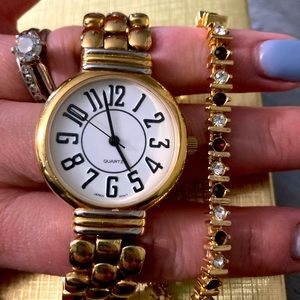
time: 4:57
